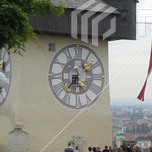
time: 7:08
